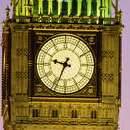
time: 9:34
